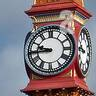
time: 9:44
